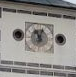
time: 11:03
